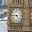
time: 4:45
